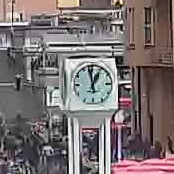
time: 12:58
